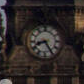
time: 8:25
